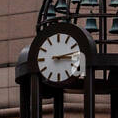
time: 3:13
